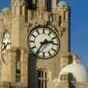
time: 2:36
